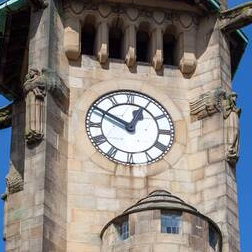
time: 12:49
